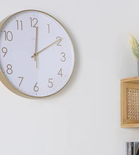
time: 12:09
